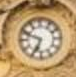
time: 6:48
